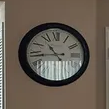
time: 10:43
